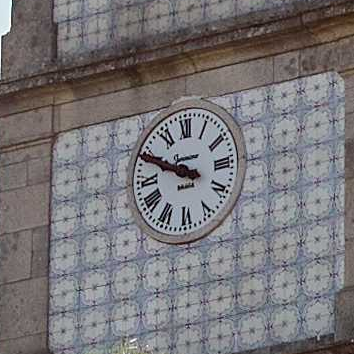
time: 9:49
